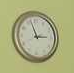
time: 2:56
